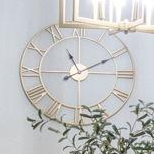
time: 11:10
